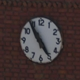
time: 4:54
